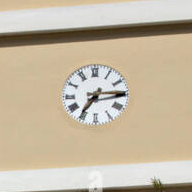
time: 7:14
